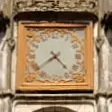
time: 4:38
